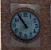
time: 10:54
